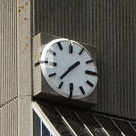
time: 1:36
